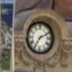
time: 7:10
